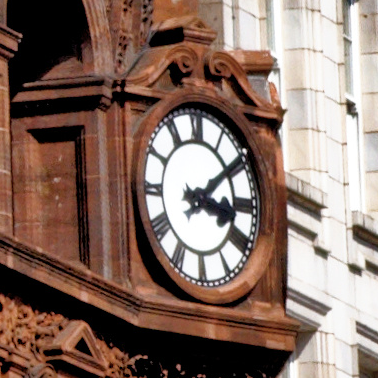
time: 3:09
